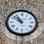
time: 10:51
